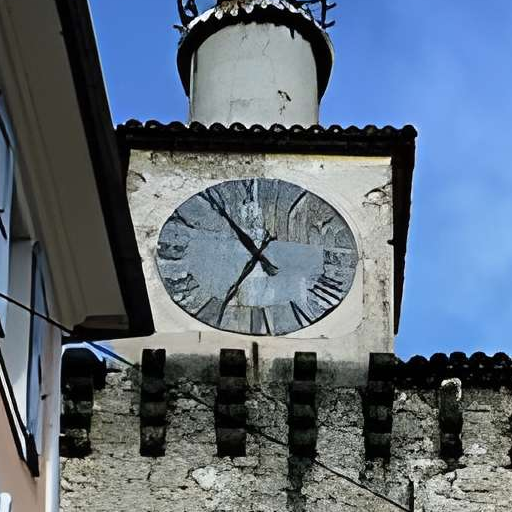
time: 6:54
